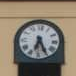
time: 6:25
